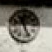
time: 11:25
